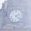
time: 2:21
